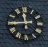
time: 11:44
